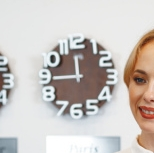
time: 11:44
